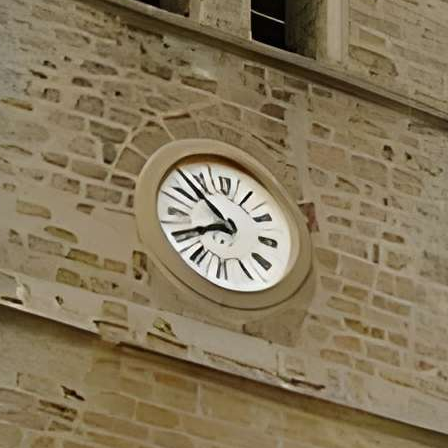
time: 7:52
